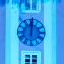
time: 12:00
